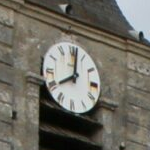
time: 8:01
